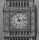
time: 11:13
